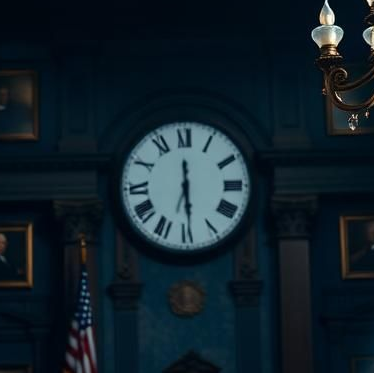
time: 6:29
